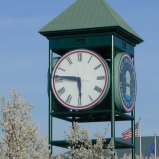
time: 5:46
